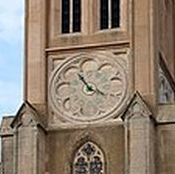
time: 3:54
